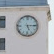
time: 5:15
